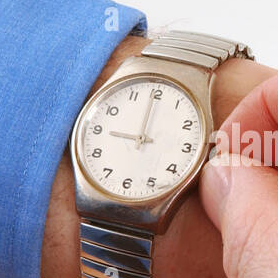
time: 8:59
